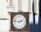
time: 2:46
